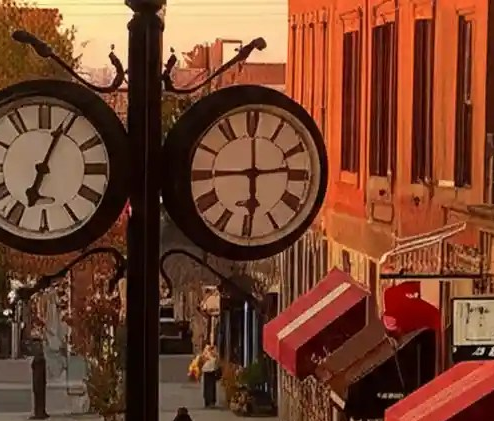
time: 5:59
